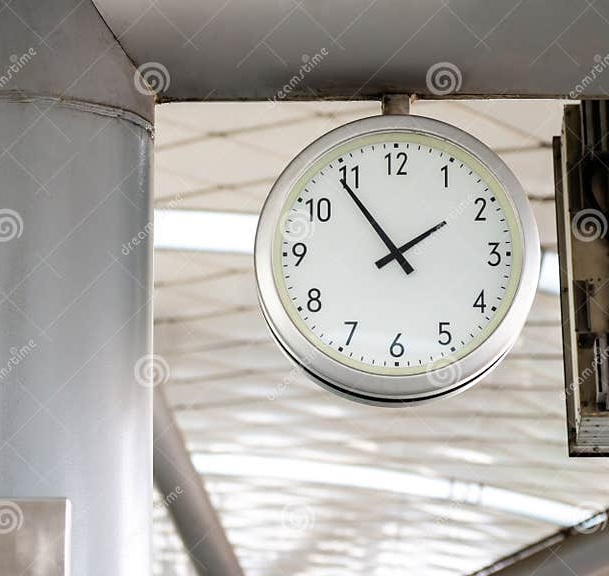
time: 1:54
